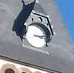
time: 3:13
